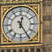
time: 12:24
